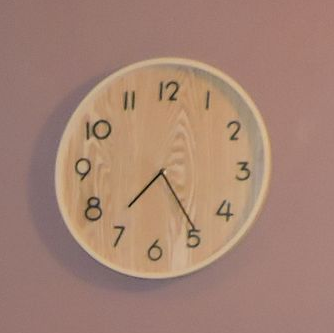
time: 7:24
